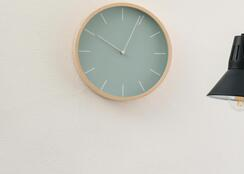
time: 10:04
